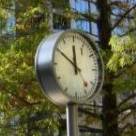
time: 11:50
